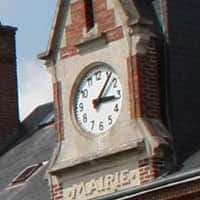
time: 3:06
